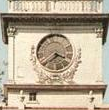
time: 3:38
